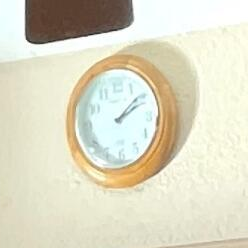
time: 2:09
